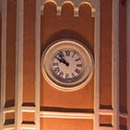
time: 10:50
